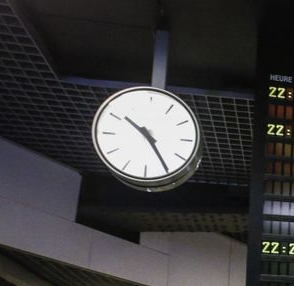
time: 10:24
